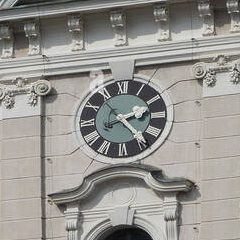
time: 2:23
